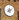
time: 8:09
